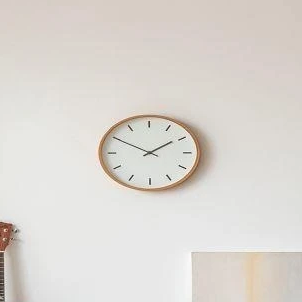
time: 1:50
